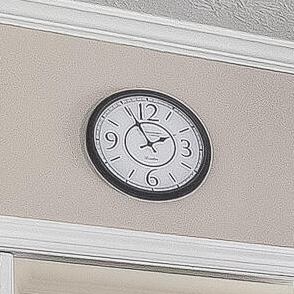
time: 1:55
